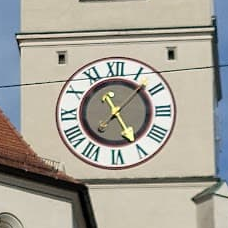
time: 11:25
